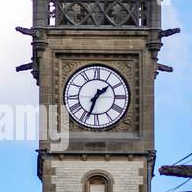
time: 1:33
